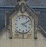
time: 4:09
